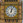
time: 12:04
